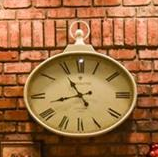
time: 10:42
